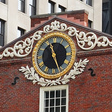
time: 11:26
